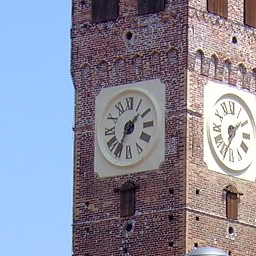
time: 1:34
